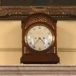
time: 4:36
